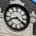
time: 8:20
